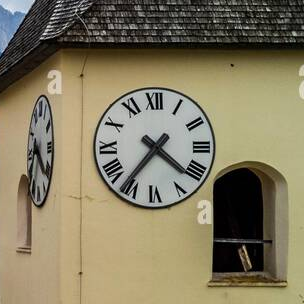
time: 7:21
